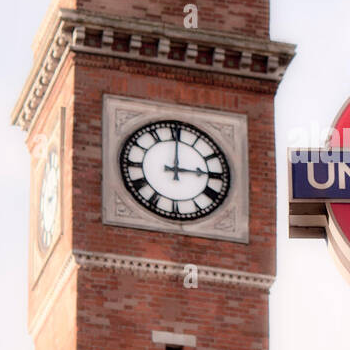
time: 3:00
